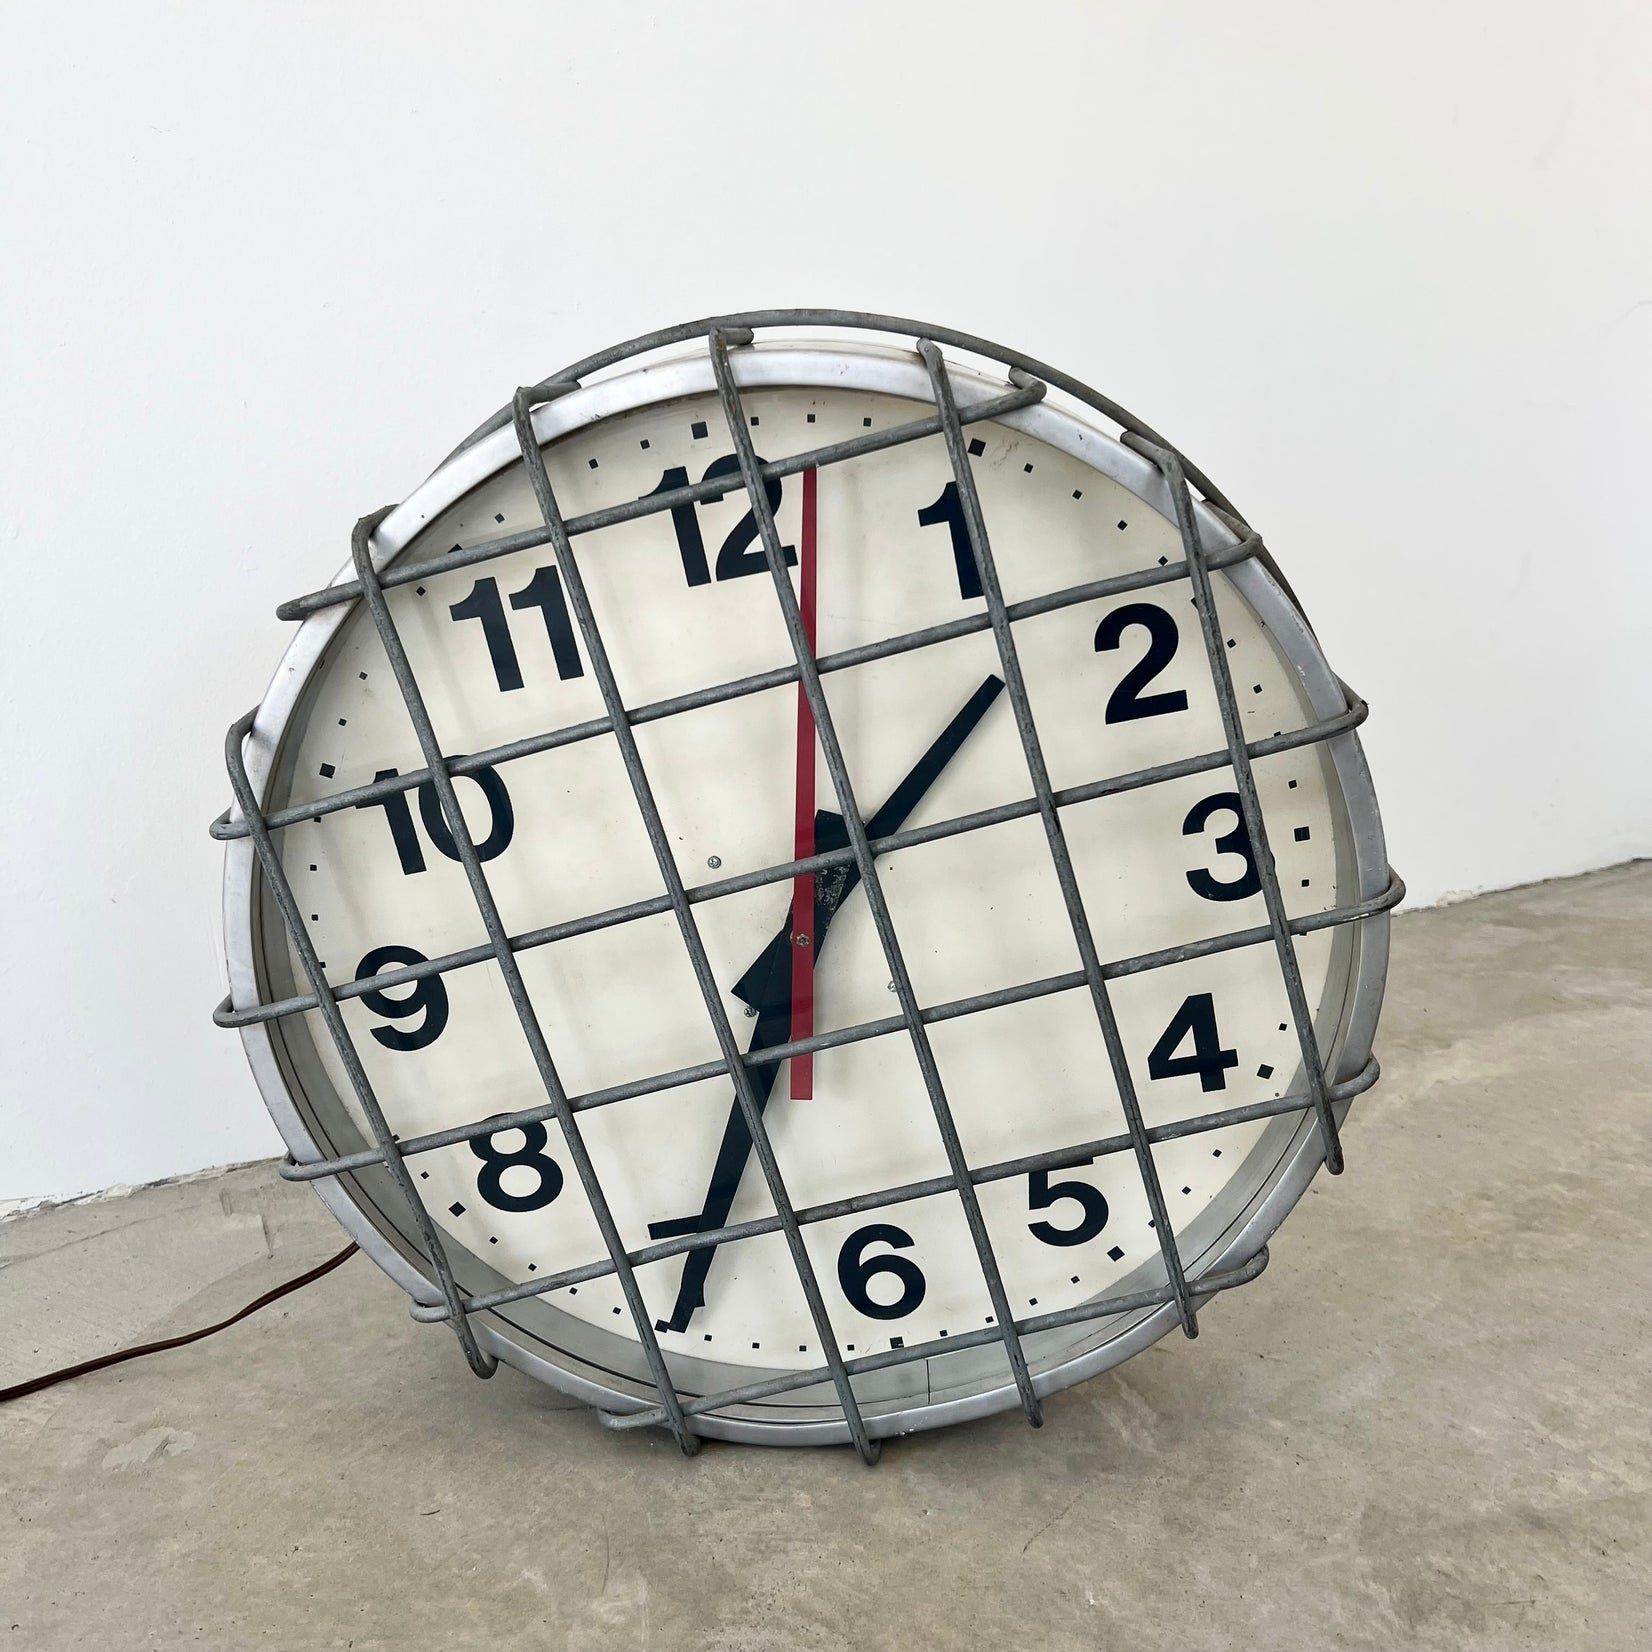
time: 1:34
